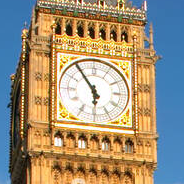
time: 5:54
